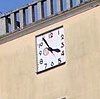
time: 3:54
